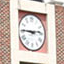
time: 2:45
